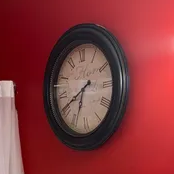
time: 6:40
